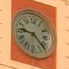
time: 9:22
